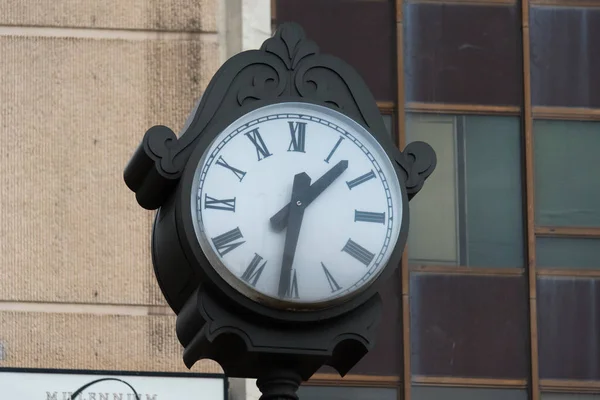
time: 1:30
